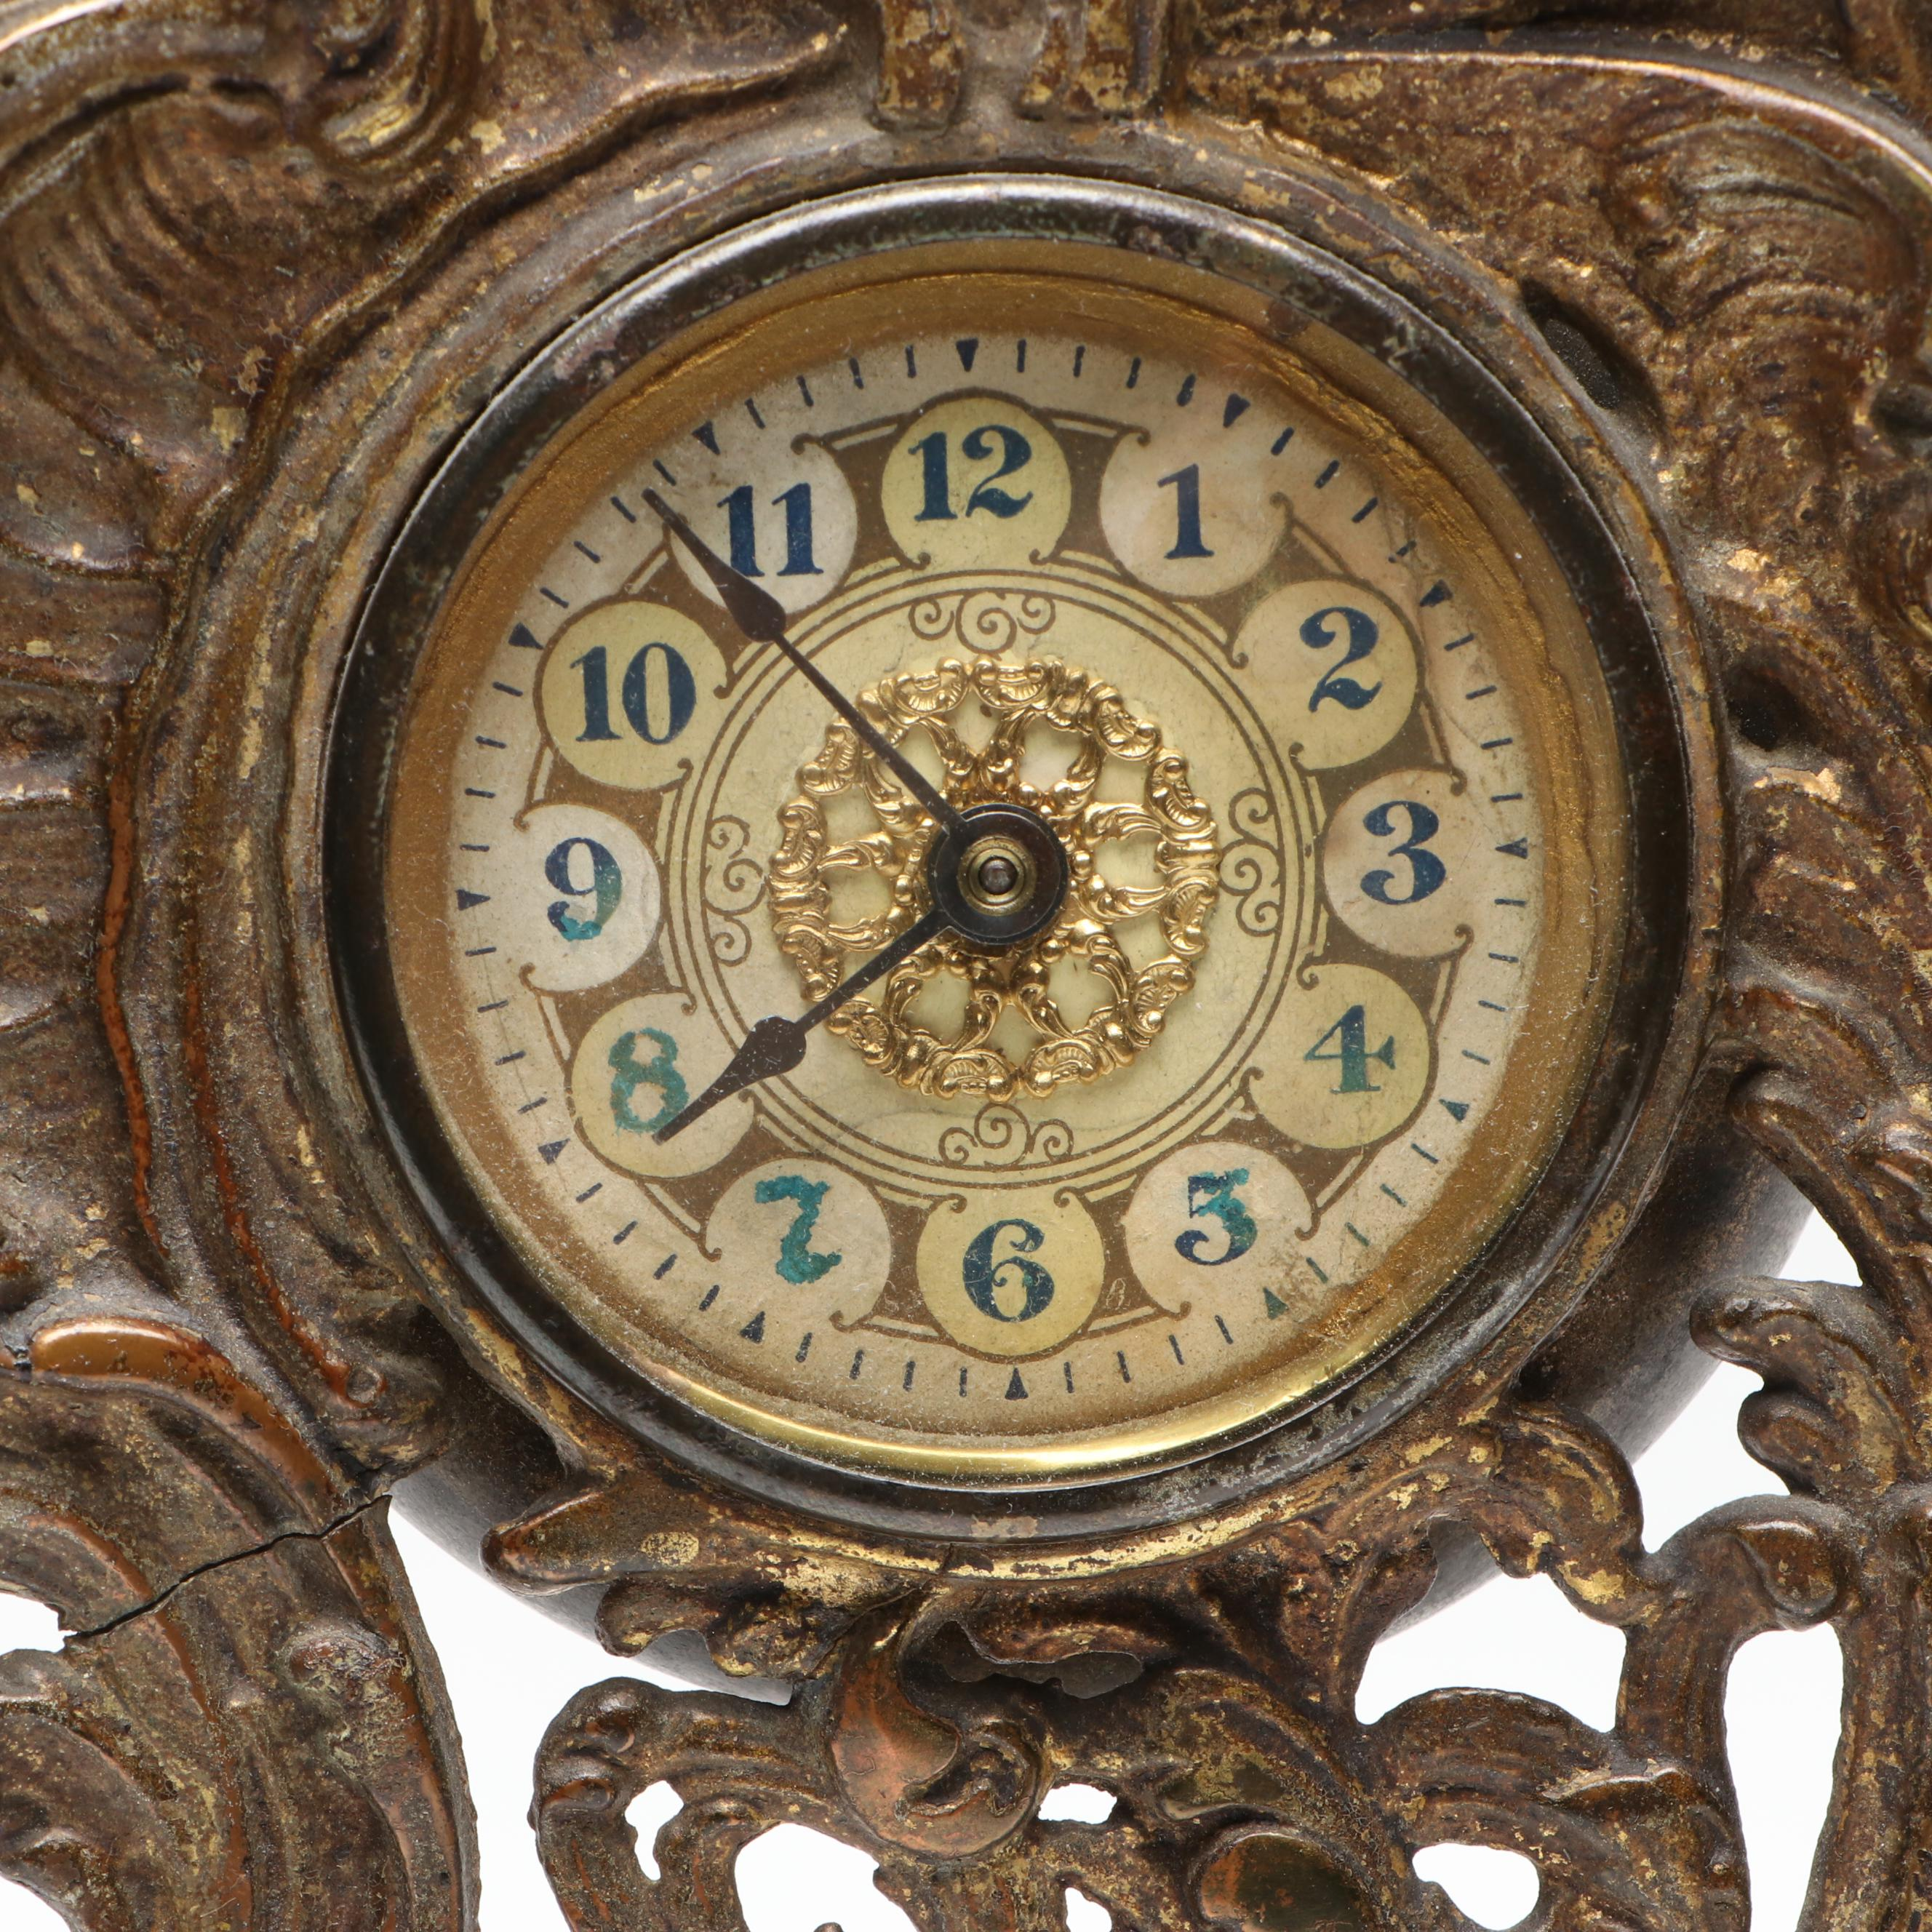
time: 7:53
